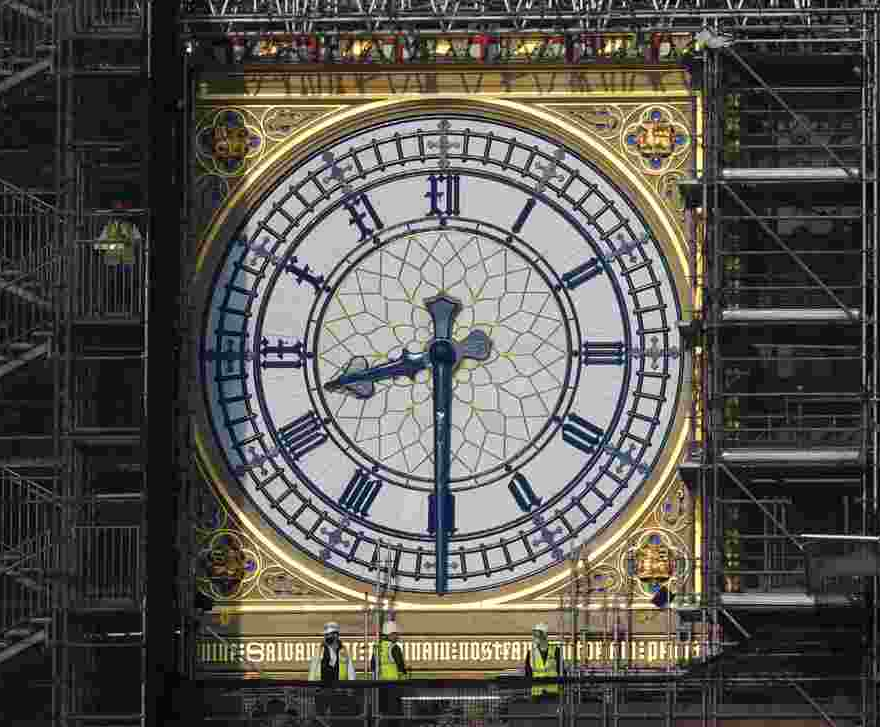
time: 8:29
